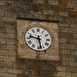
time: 9:28
